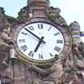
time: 6:52
